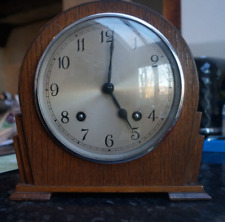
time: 5:01
